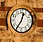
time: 12:35
